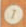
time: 6:32
